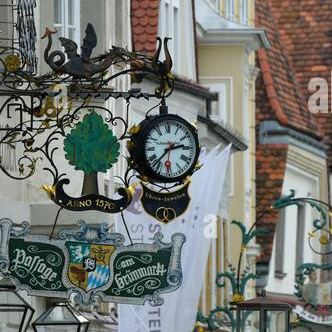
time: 2:36
